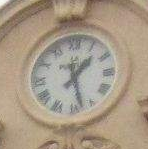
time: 1:27
